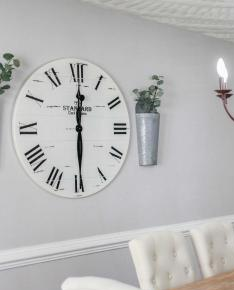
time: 6:00
